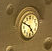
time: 4:49
